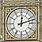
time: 12:12
